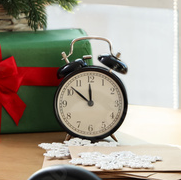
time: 11:51
